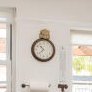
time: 10:37
